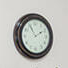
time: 1:55
